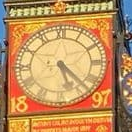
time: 5:22
